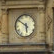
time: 5:51
